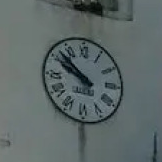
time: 9:51
